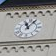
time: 11:07
